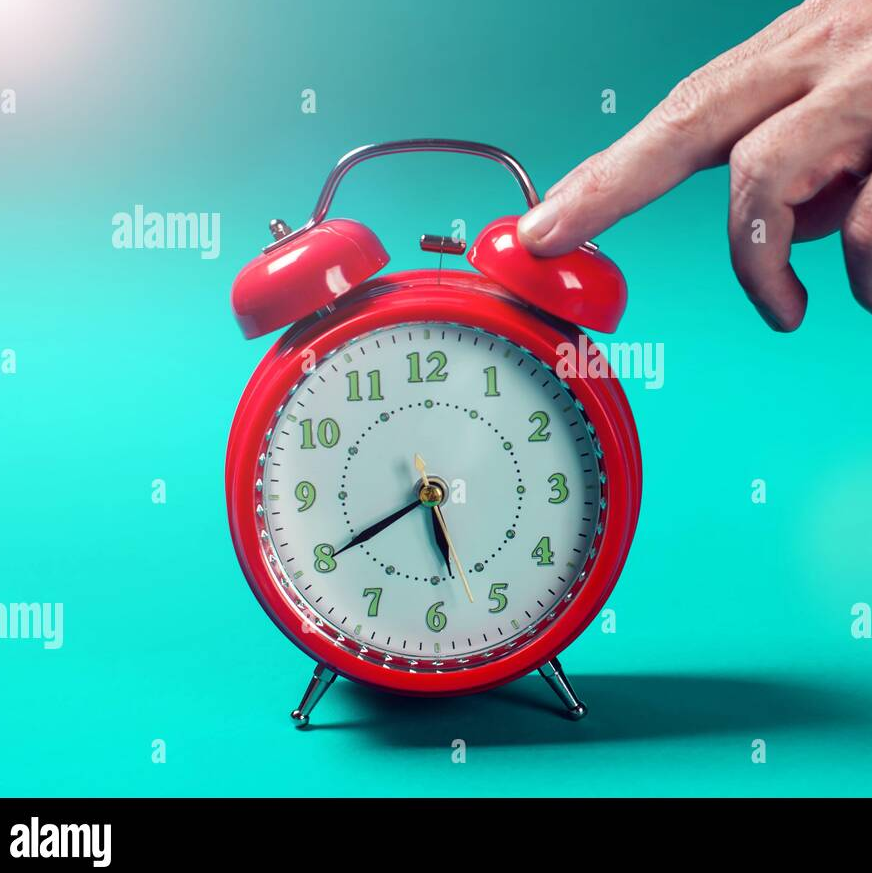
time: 5:40
